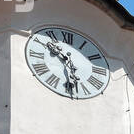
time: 10:28
